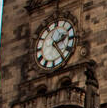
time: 2:23
